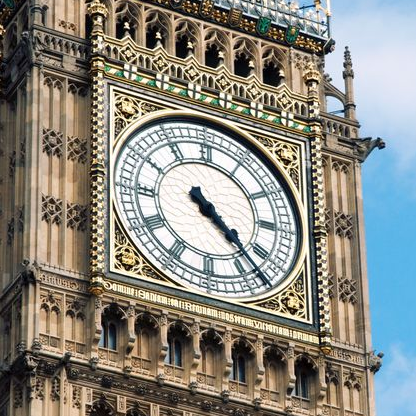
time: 4:22
